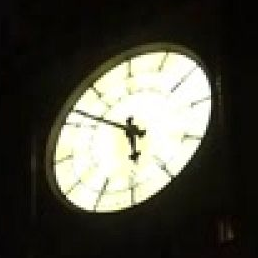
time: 5:51
